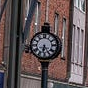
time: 6:25
